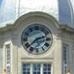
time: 2:38
